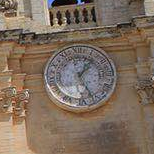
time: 1:26
